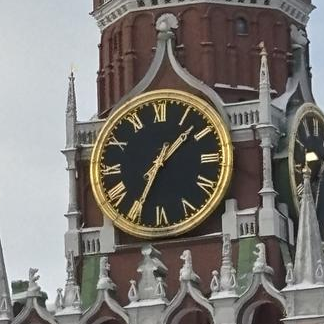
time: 1:34
